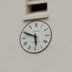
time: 5:48
